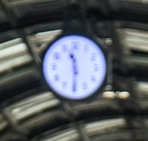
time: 11:29
